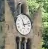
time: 11:12
